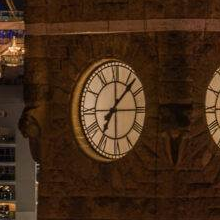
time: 7:07
